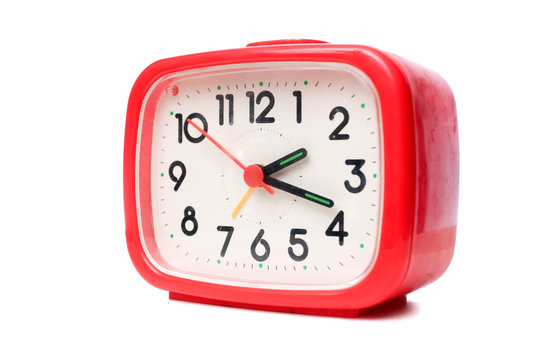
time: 2:18
